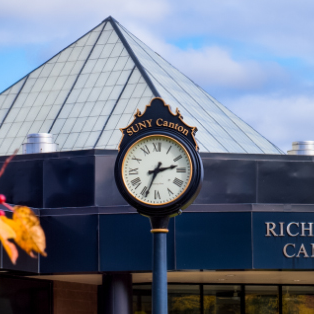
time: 2:34
